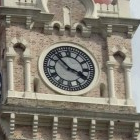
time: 3:52
